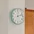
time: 12:12
